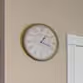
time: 1:18
